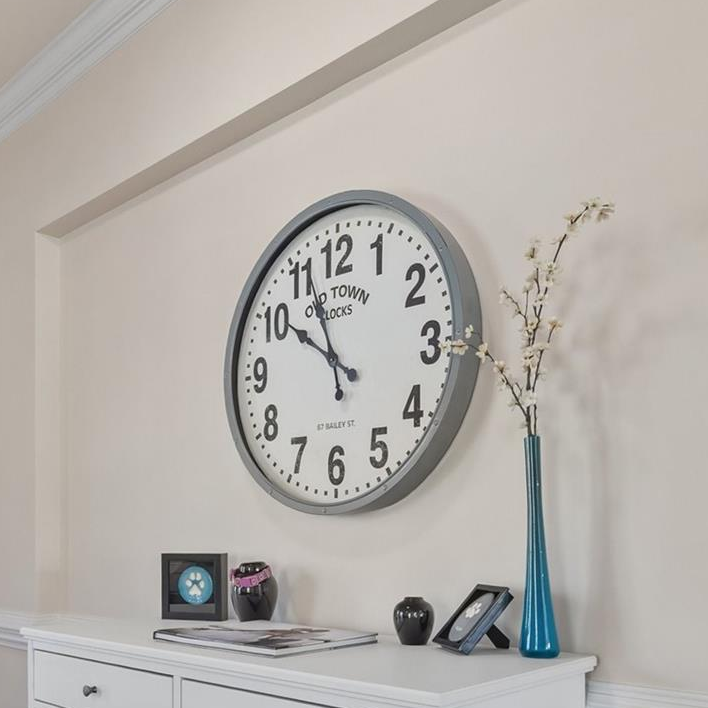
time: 9:56
